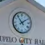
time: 1:53
